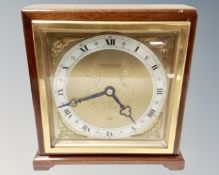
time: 4:42
